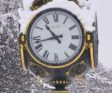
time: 10:42
